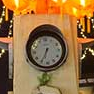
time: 6:34
